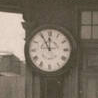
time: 11:55
